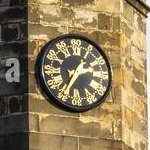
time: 1:34
